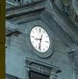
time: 8:32
